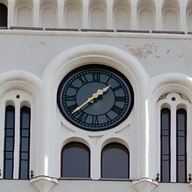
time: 1:38
